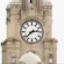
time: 2:38
